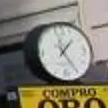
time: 1:24
